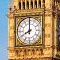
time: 7:59
